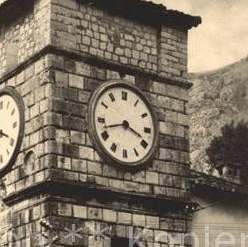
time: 3:42
